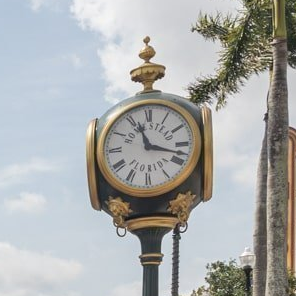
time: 11:17
